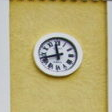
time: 11:42
